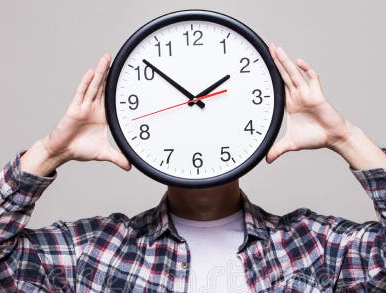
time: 1:51
